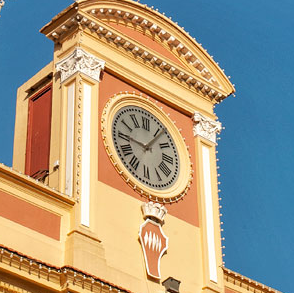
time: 9:06
